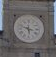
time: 5:48
